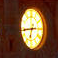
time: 6:43
